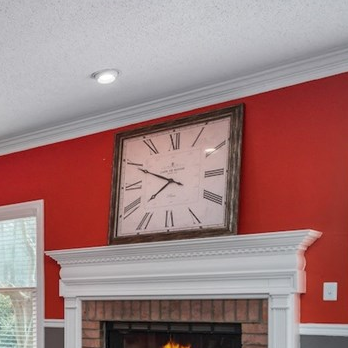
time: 7:49
